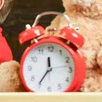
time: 11:35
